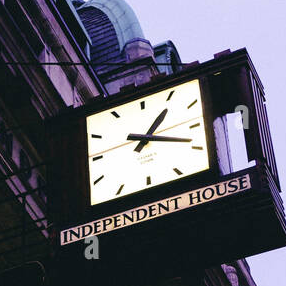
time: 1:18
